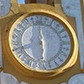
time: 5:59
